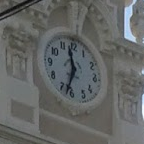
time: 11:33
